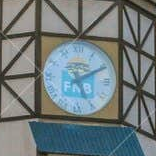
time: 5:10
